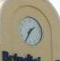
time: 1:34
